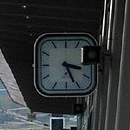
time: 3:26
